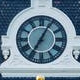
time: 7:05
